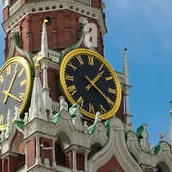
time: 1:20
